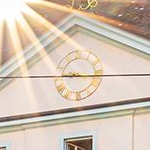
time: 9:16
